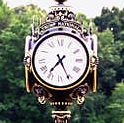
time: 7:25
